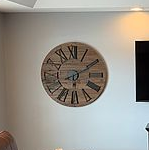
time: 6:10
